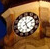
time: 5:08
